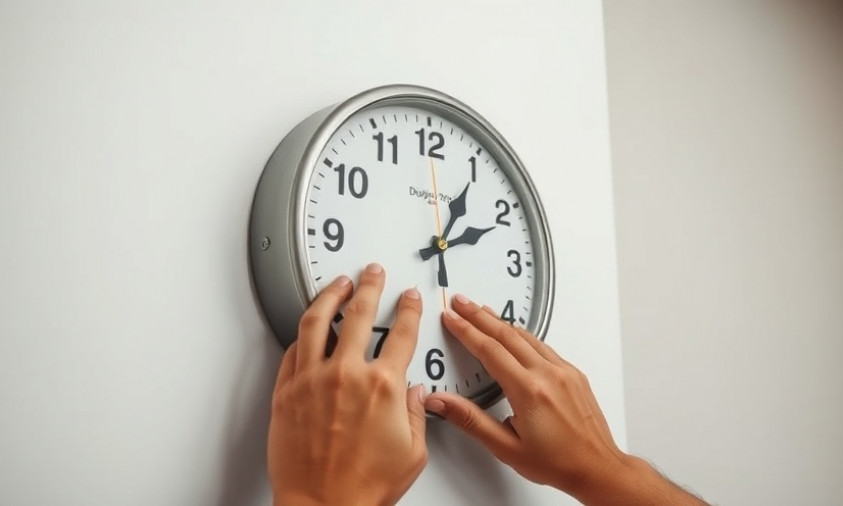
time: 1:11
